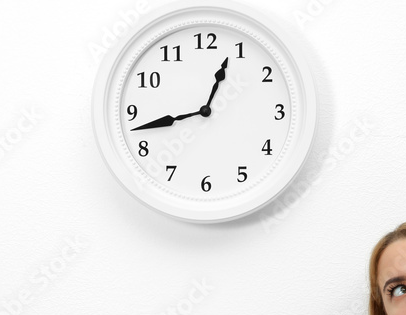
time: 12:42
